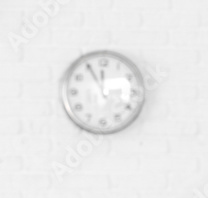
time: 11:55
